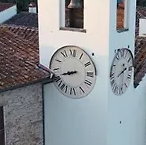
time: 8:41
